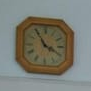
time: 3:54
